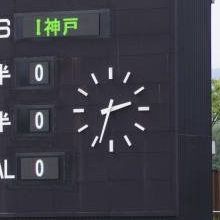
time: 2:33
